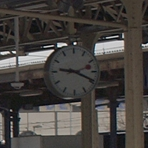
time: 9:19
